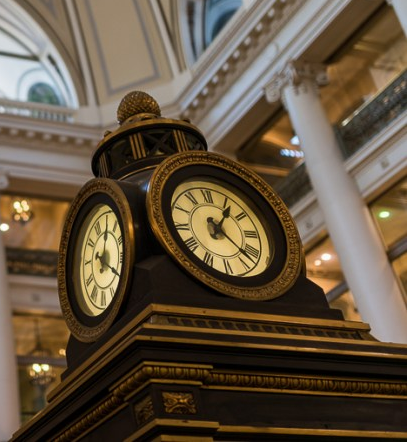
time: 1:22
